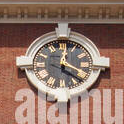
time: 4:01
